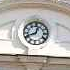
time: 12:41
